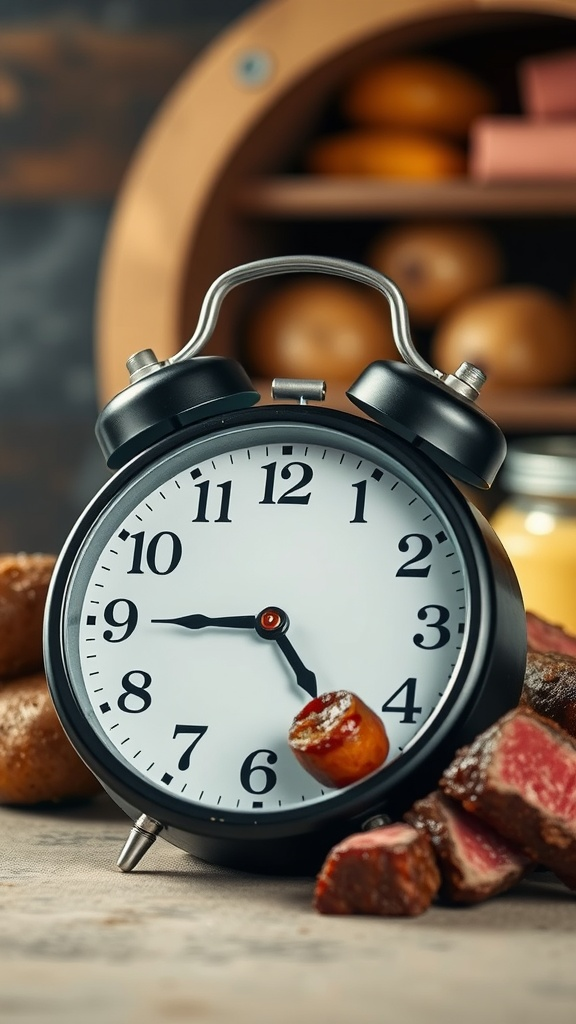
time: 4:45
